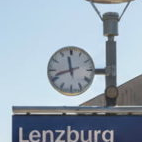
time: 11:41
